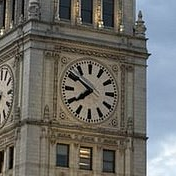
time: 7:50
